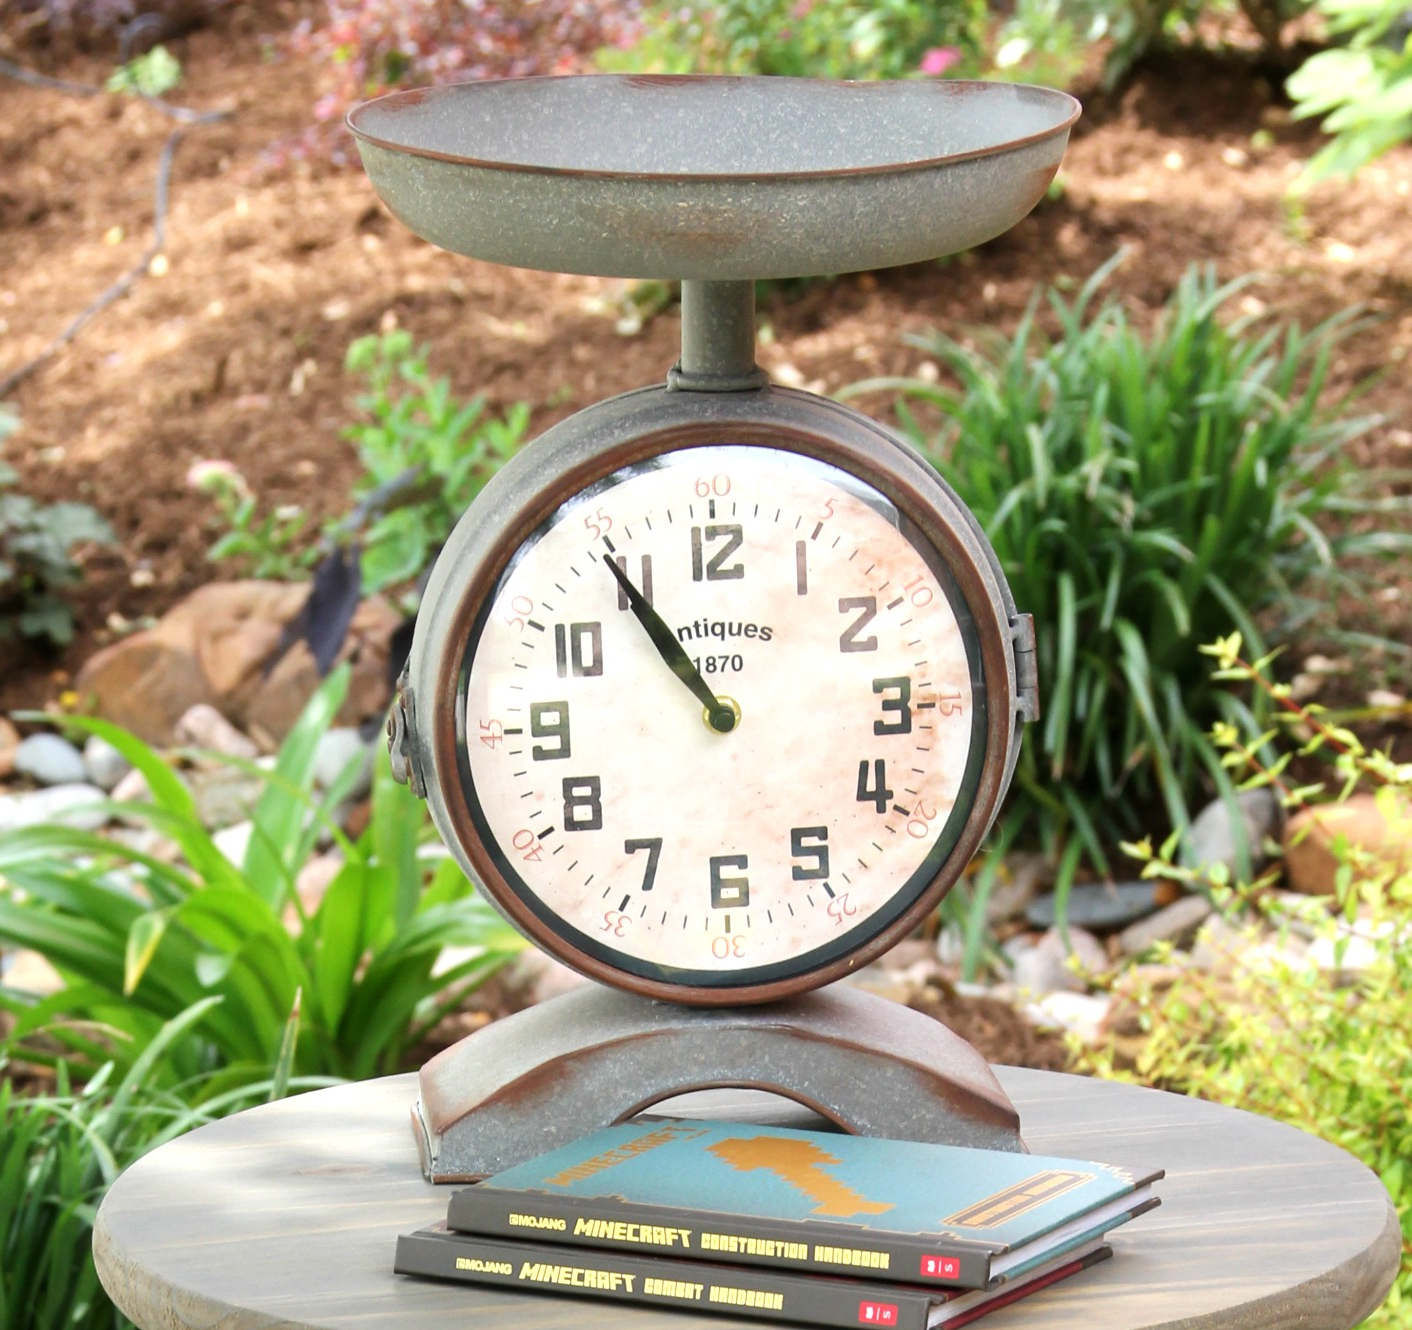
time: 10:54
